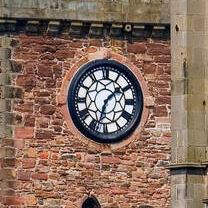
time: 1:33
